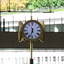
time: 11:32
